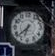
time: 6:38
